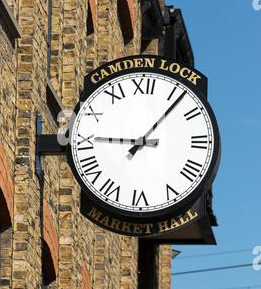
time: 9:06
